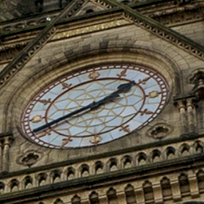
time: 1:41
